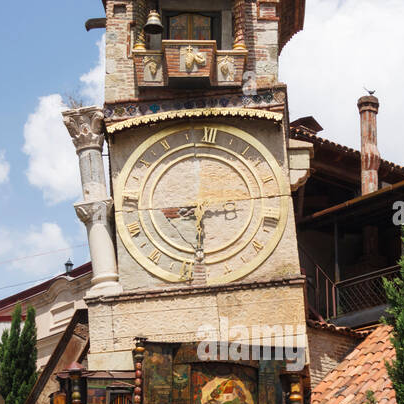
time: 8:29
